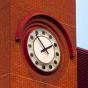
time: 1:53
